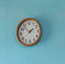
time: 1:53
